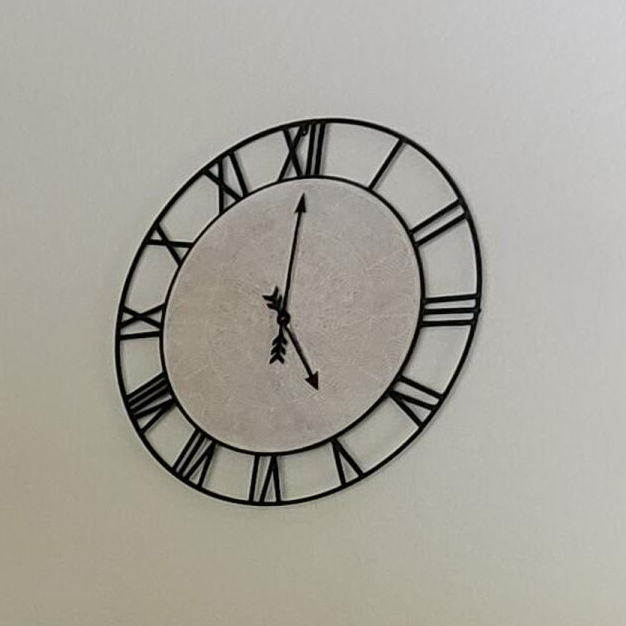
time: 5:00
